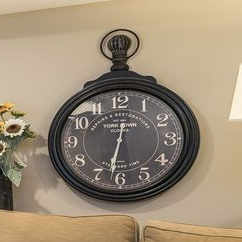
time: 6:32
